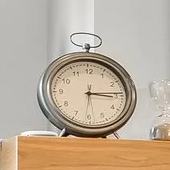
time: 3:14
